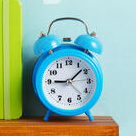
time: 9:08
